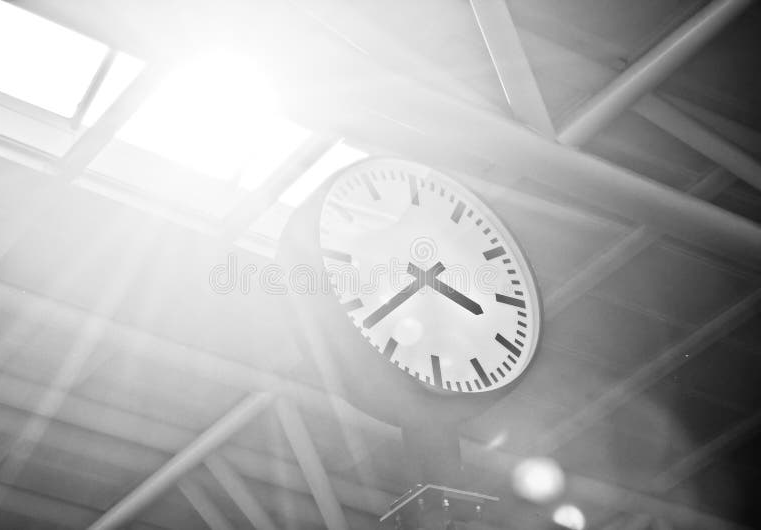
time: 3:38
